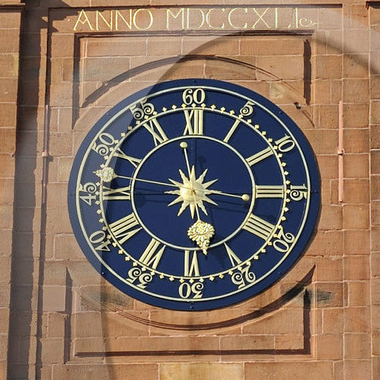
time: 5:15
